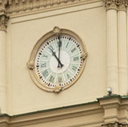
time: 11:00
